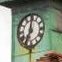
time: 7:00
